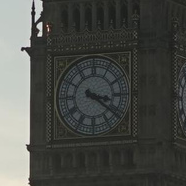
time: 3:21
